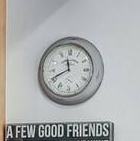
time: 11:40
